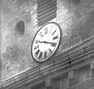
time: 3:48
